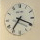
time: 7:19
